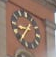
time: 8:36
